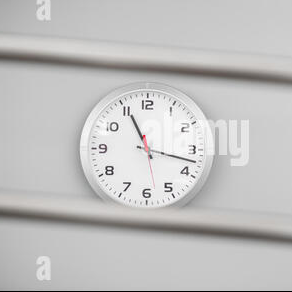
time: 11:17
